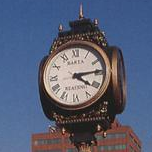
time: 4:13
